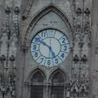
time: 4:50
